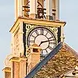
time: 7:12
